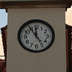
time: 11:54
